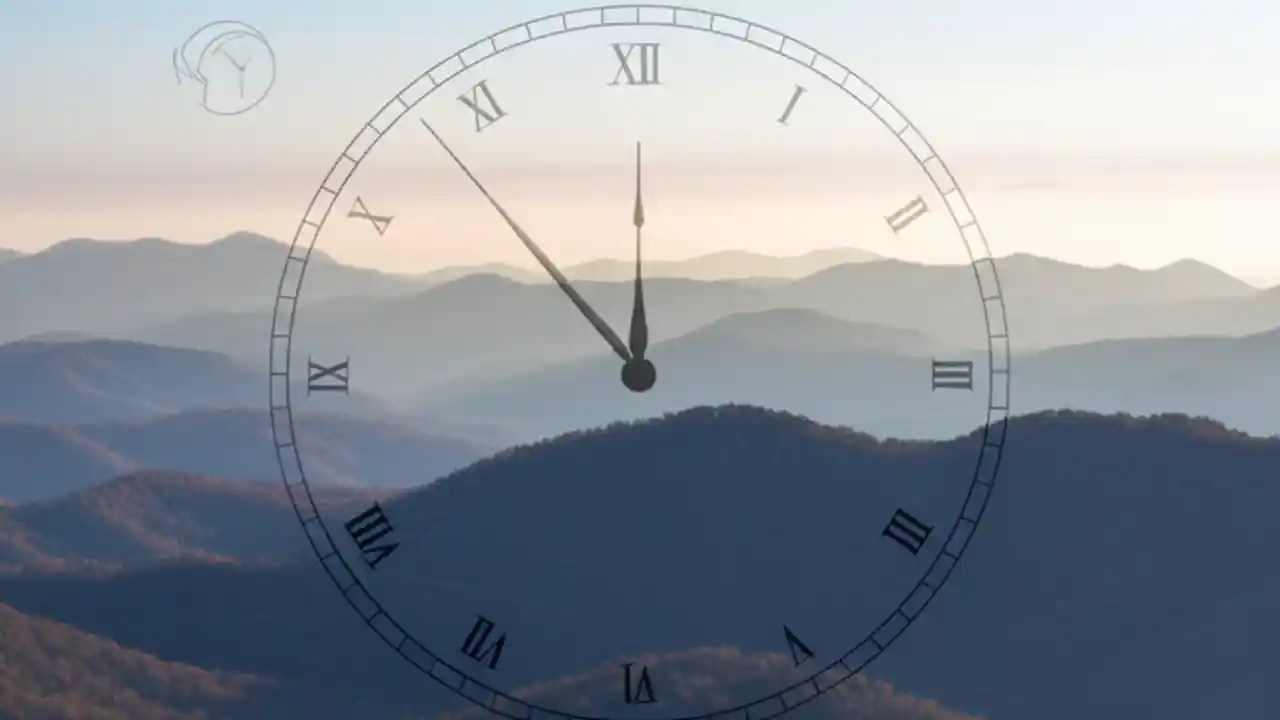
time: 11:53
